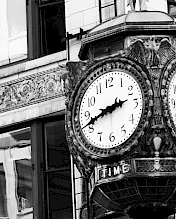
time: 2:41
